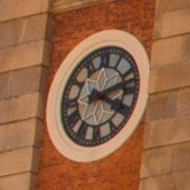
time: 4:12
